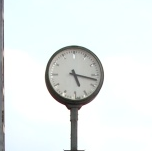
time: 5:17
